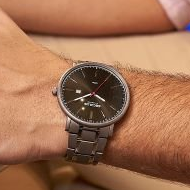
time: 3:40
